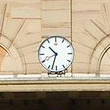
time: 10:32
